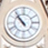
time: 10:53
